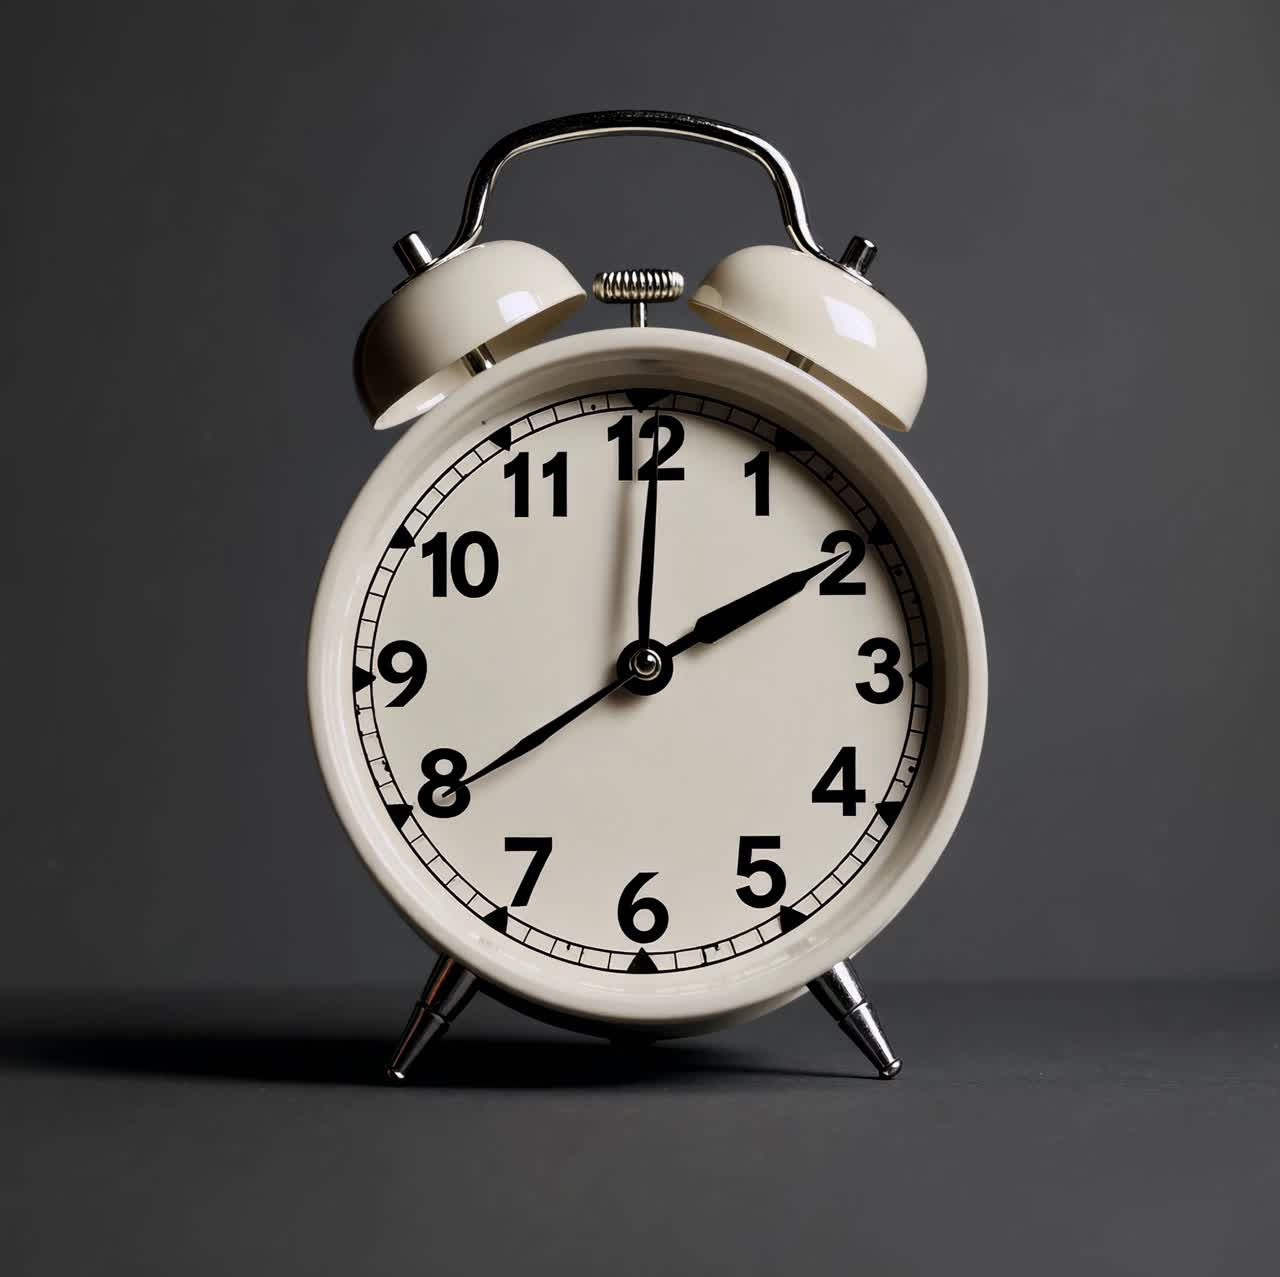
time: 2:00
